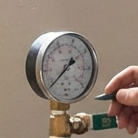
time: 1:38
